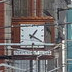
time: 1:20
